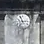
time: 2:56
